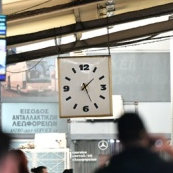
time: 1:26
